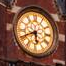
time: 5:40
